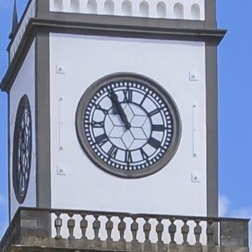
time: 10:55
